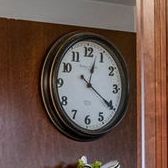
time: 12:20
